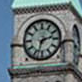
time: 2:33
